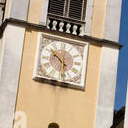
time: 10:28
